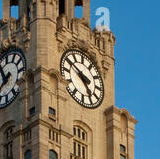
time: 4:50
